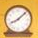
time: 8:07
